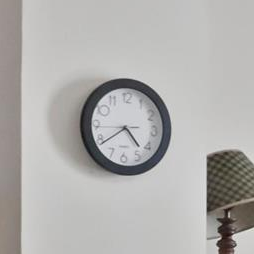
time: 4:38
